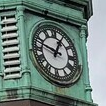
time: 12:47
